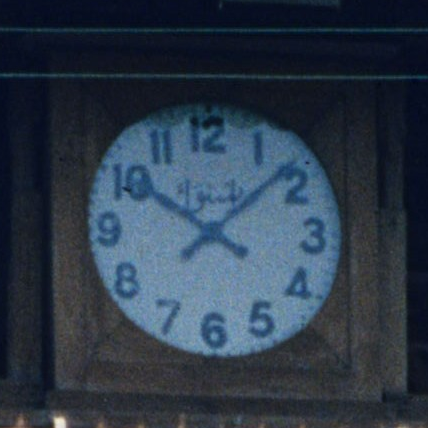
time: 10:08
